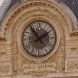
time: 1:53
